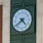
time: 4:38
